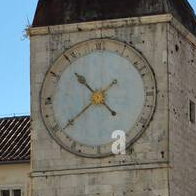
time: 10:39
